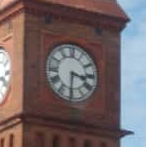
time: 3:30
